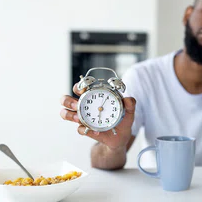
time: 6:04
